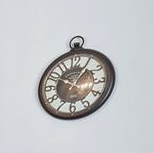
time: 10:05
